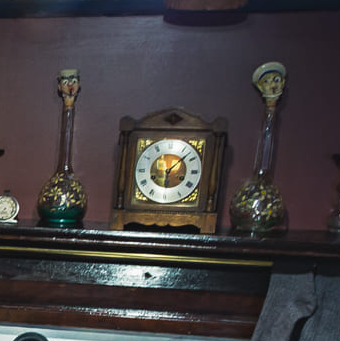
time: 6:08
